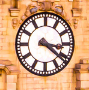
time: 3:21
